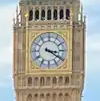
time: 3:20
